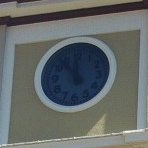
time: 11:53
